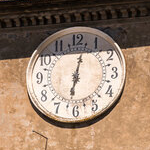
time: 6:02
